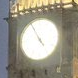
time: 4:54
